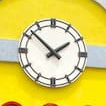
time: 1:52
